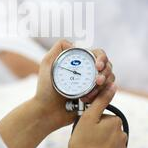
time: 9:48
